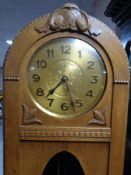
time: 7:27
